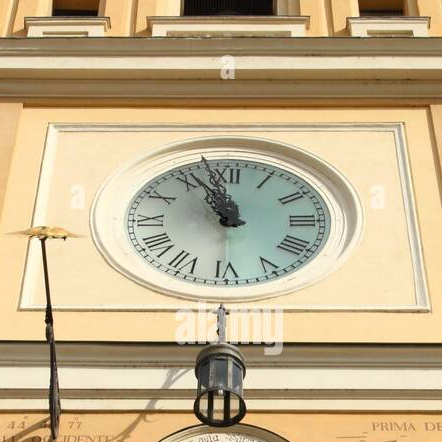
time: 10:57
